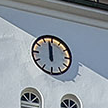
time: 11:58
